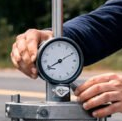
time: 8:10
